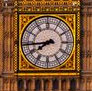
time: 7:44
